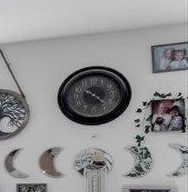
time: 10:23
